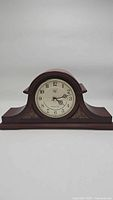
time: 4:12
